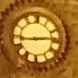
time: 2:44
